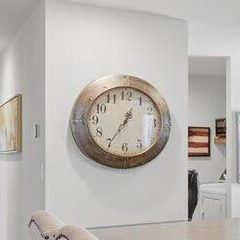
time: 12:35
